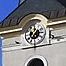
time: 11:37
